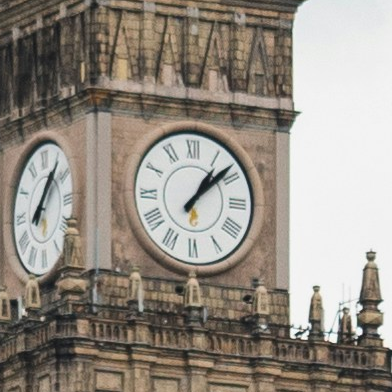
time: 1:08
